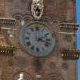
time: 2:18
